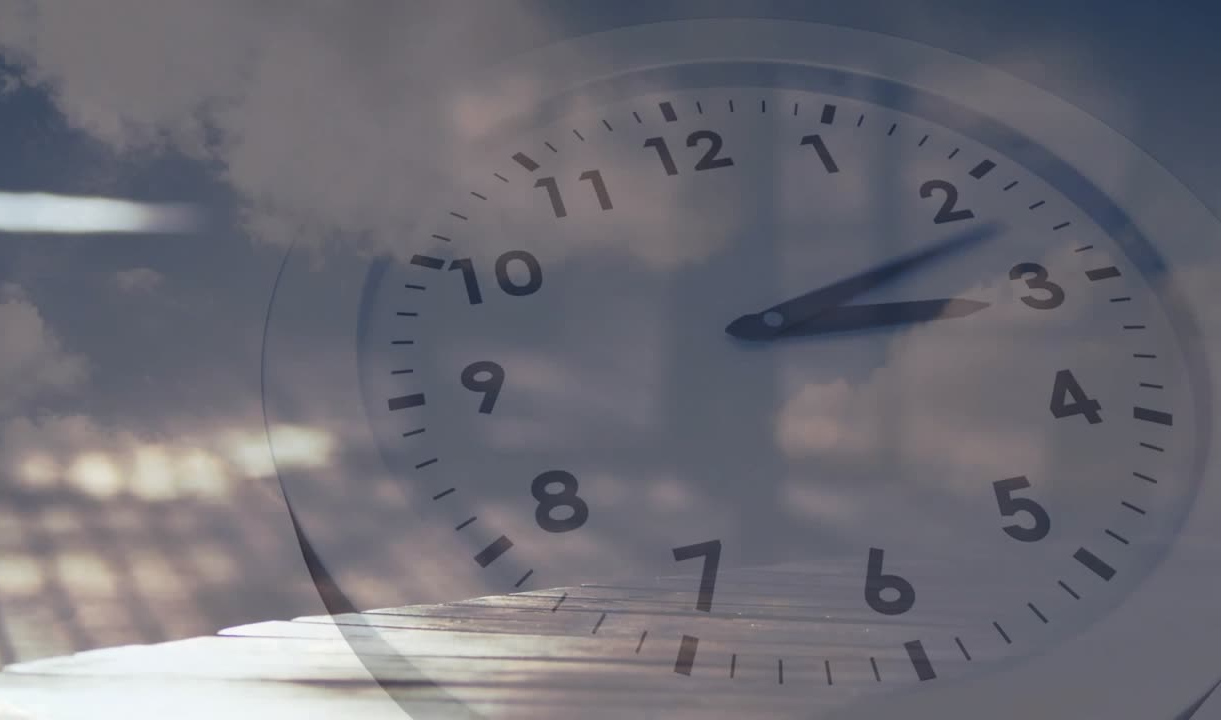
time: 3:12
